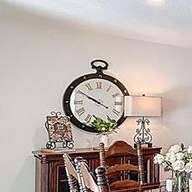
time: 9:50
